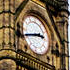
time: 2:42
